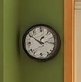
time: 12:50
